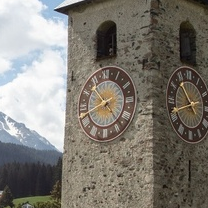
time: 10:41
